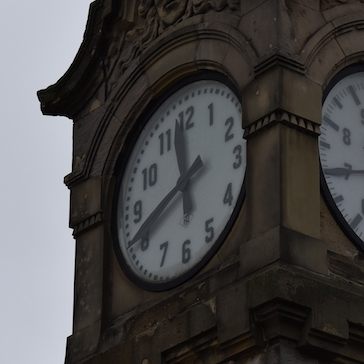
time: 11:41
